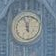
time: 11:56
